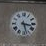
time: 3:27
